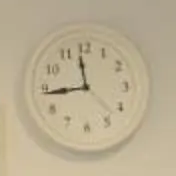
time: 11:43
